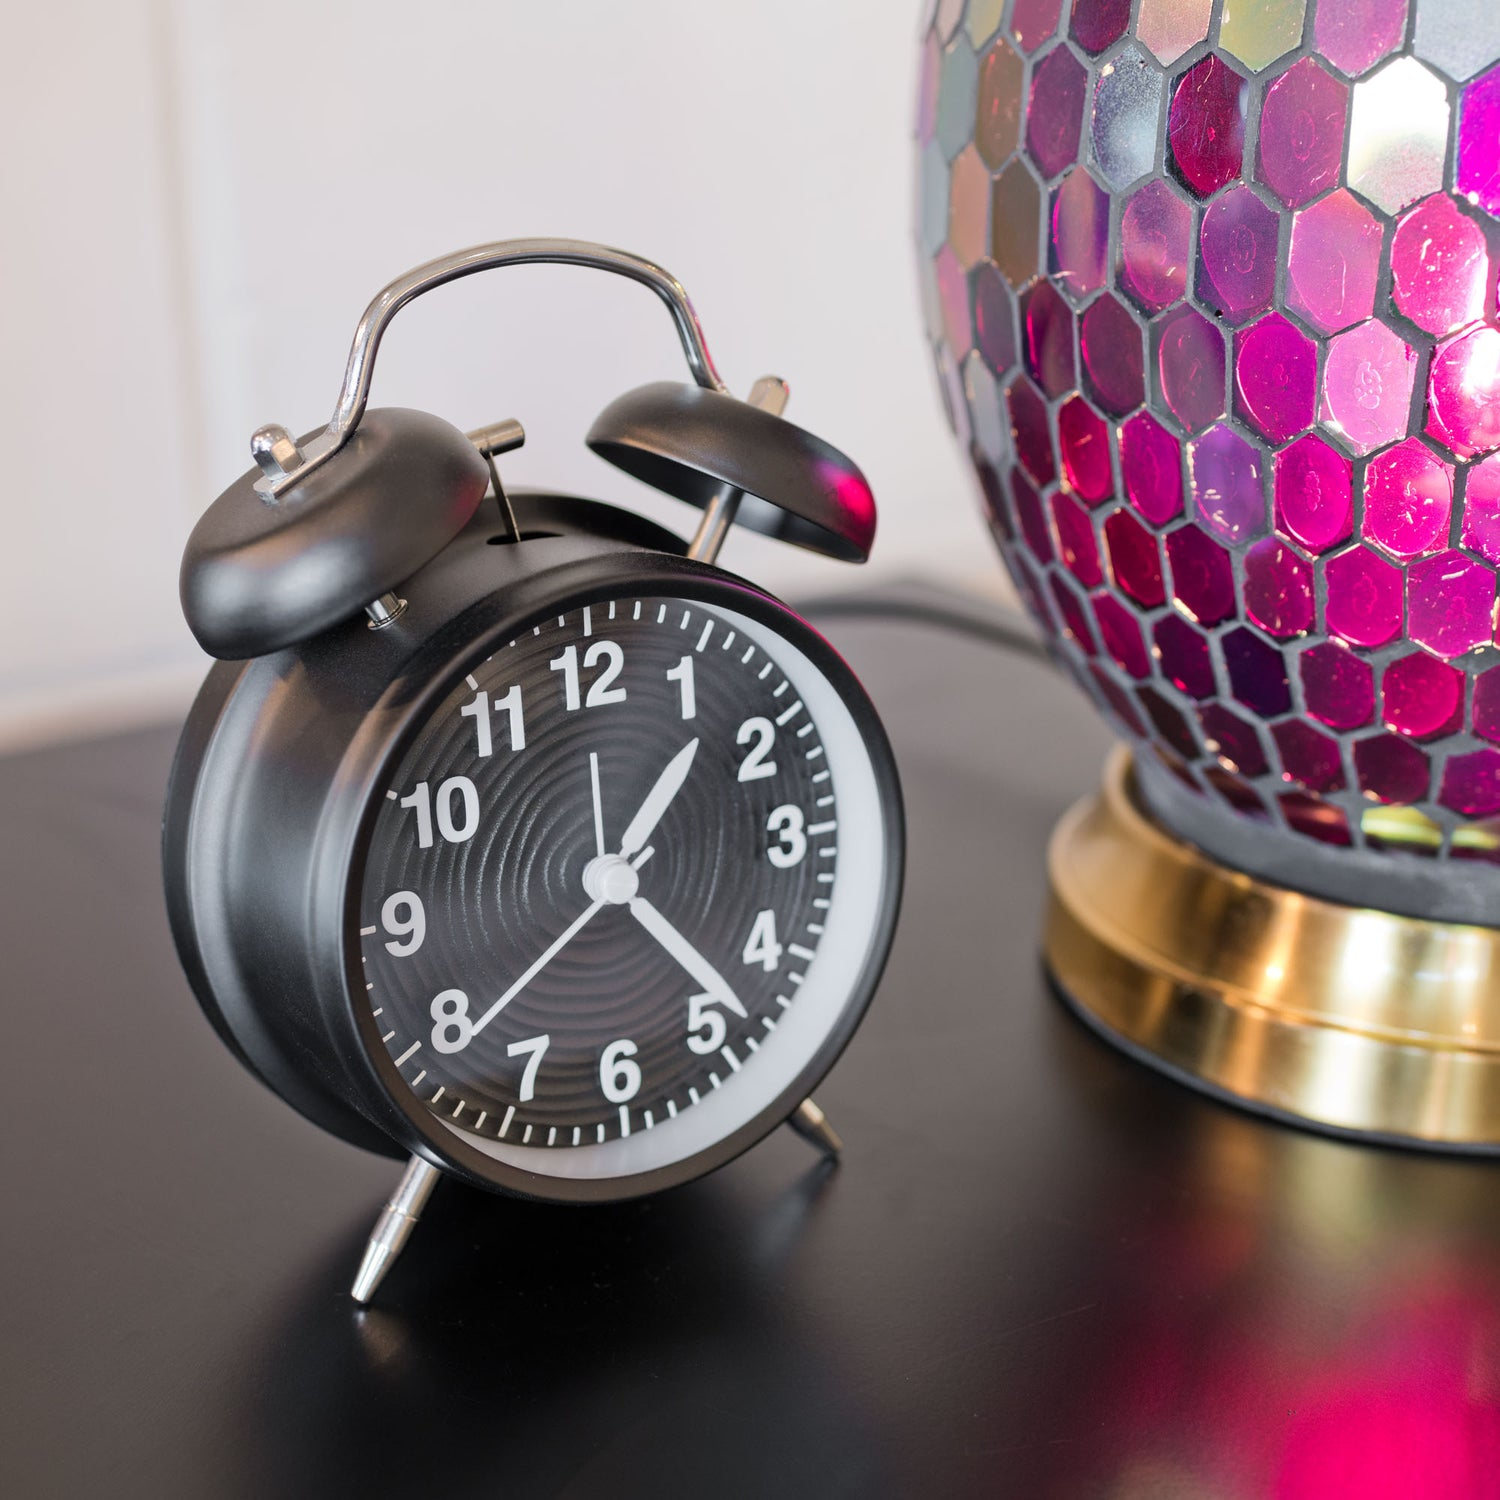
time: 1:23
